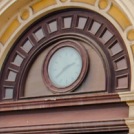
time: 2:39
